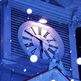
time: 5:49
